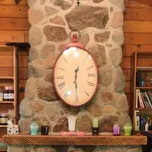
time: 12:29
